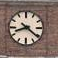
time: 8:21
